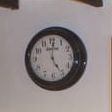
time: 5:00
